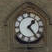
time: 1:24
